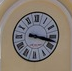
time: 3:17
